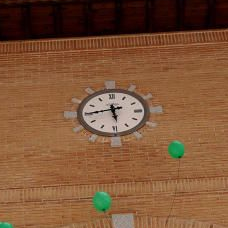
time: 5:44
